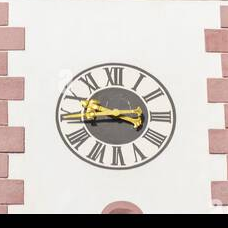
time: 3:43
